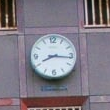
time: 8:16
